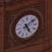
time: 5:08
